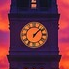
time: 1:07
